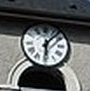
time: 6:06
